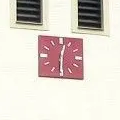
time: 12:30
